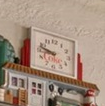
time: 8:47
